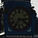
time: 7:16
